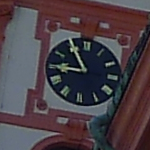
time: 8:54
